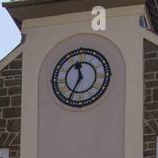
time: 11:35
